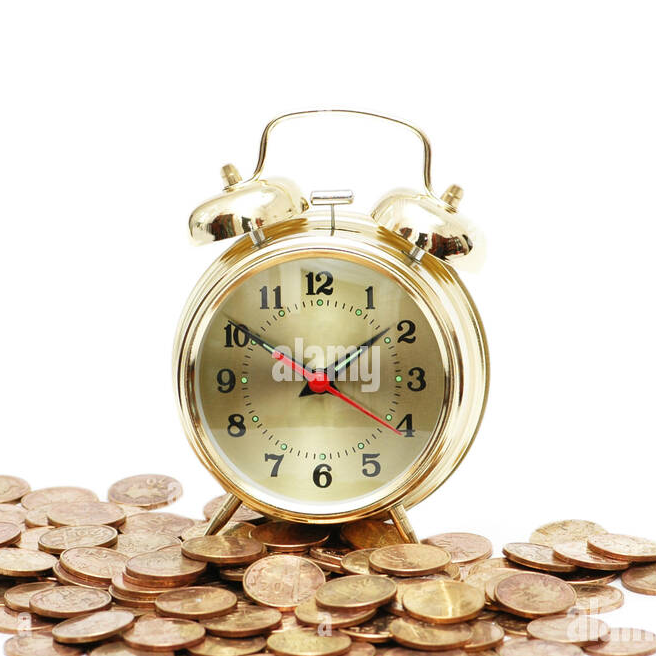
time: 1:50
